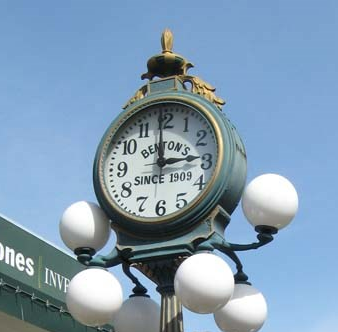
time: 2:59
